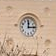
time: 12:14
